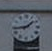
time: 1:43
